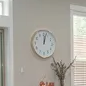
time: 12:02
